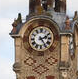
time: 2:24
